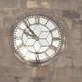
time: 9:53
